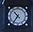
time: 10:36
